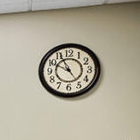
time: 9:55
